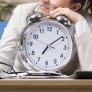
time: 7:08
